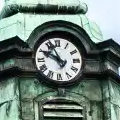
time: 9:56
